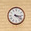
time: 3:21
